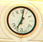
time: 7:01
